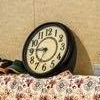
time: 6:46
